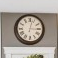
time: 3:02
